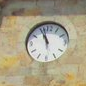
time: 10:56
